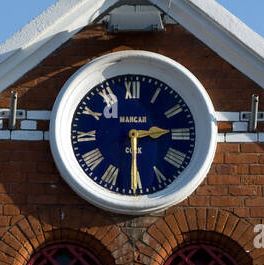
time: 2:29
